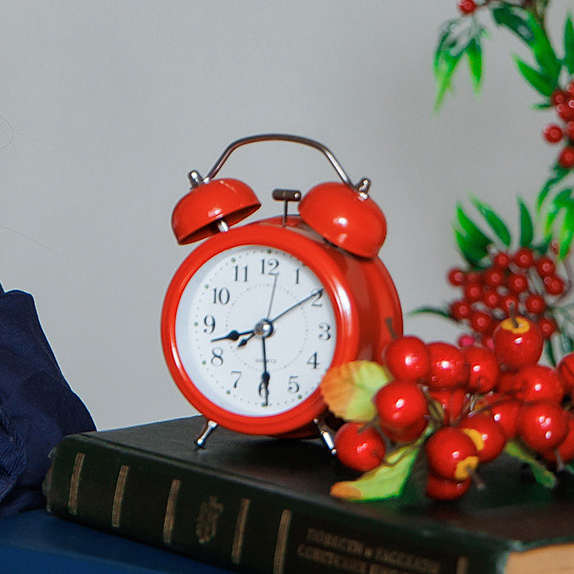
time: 8:29
